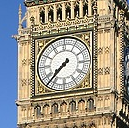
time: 7:37
